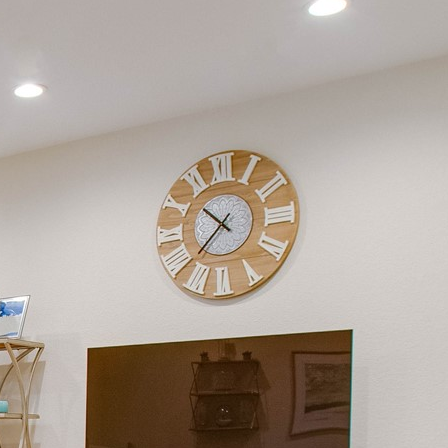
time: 10:37
